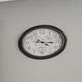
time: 4:16
